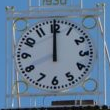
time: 11:59
